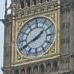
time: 1:41
